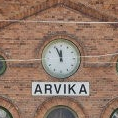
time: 11:55
